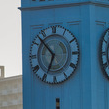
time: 6:52
